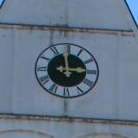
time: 2:58
